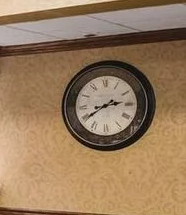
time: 2:40
